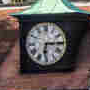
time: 6:15
